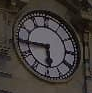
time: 5:44
